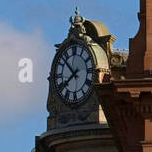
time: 7:52
